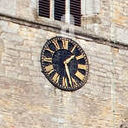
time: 1:28
